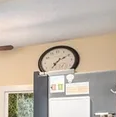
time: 7:10
